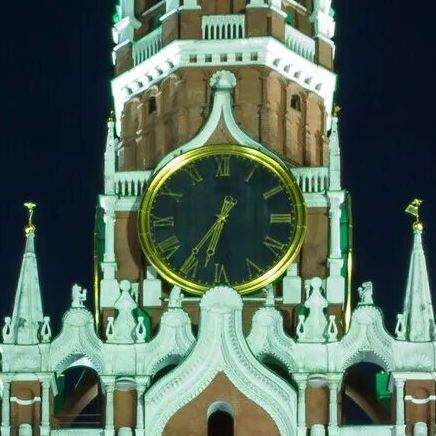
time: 6:36
